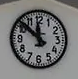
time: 11:51
